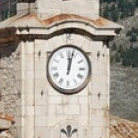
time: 12:02
